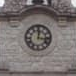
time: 12:16
